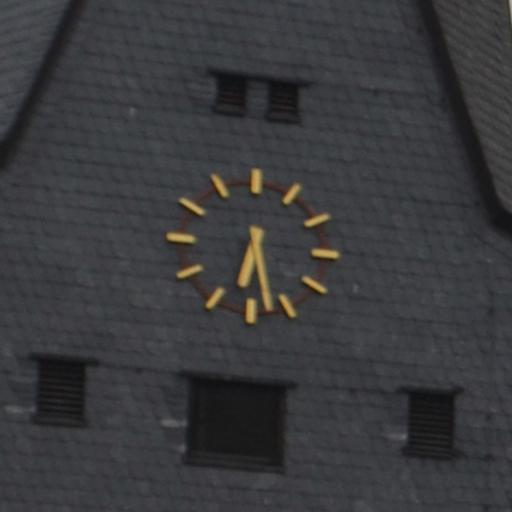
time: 6:28
